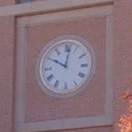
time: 10:01
